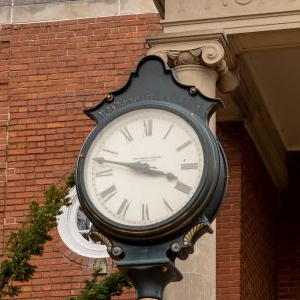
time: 3:47
